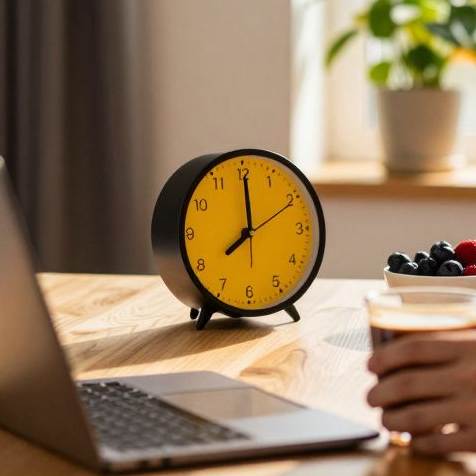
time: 8:00
